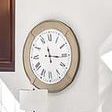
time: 11:15
